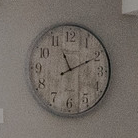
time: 11:10
